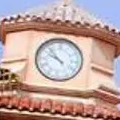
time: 9:53
